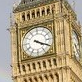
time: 4:19
